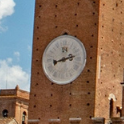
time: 8:12
